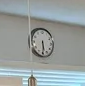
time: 5:29
